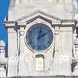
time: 2:01
